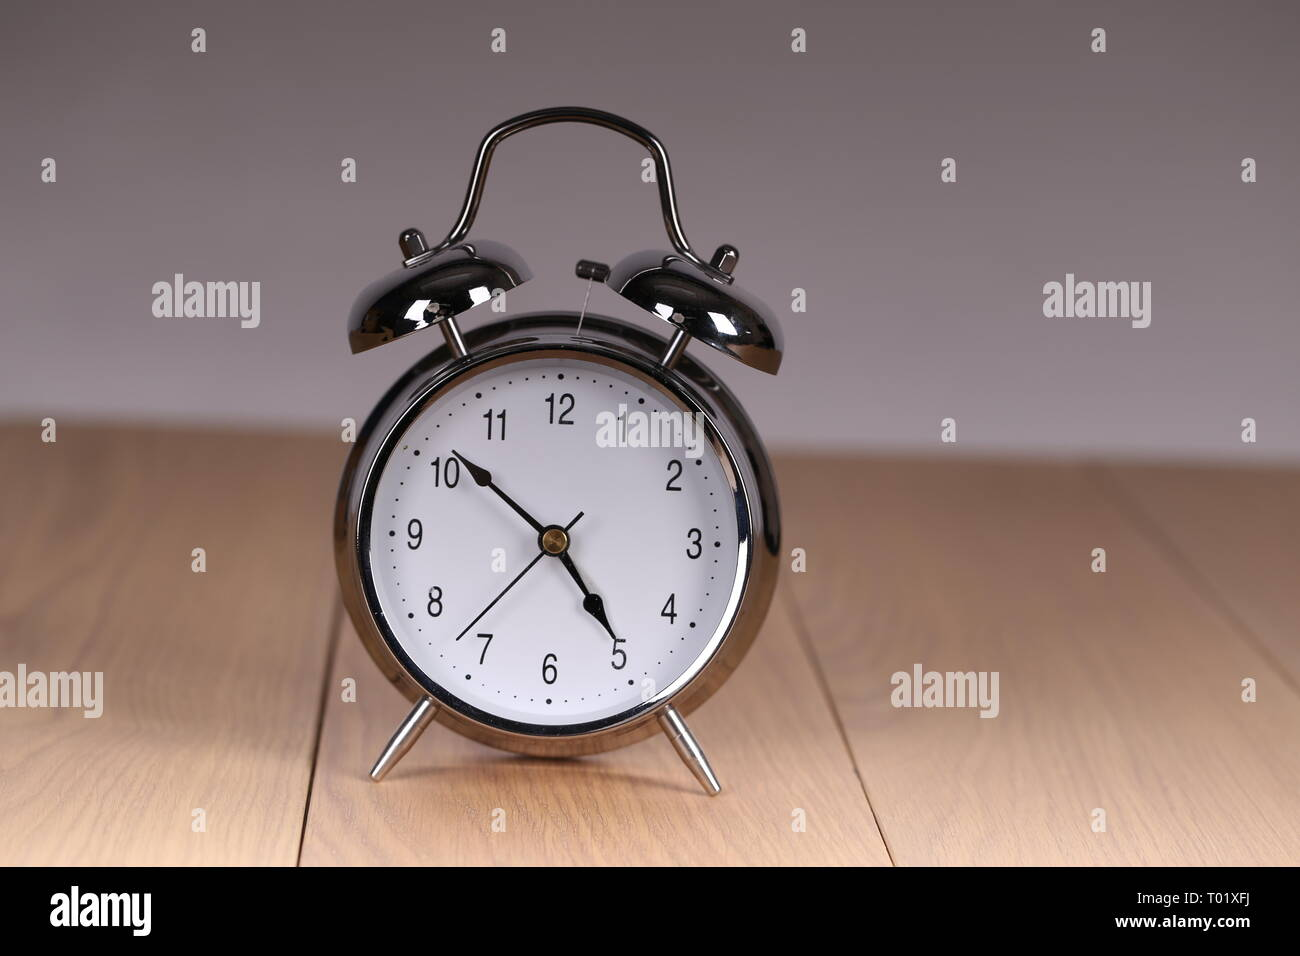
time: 4:51
